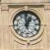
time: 12:59
